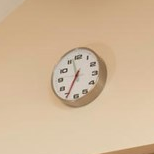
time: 11:34
